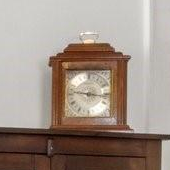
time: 9:16
